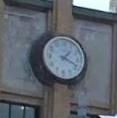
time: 1:18
